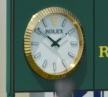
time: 1:51
